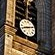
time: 8:11
